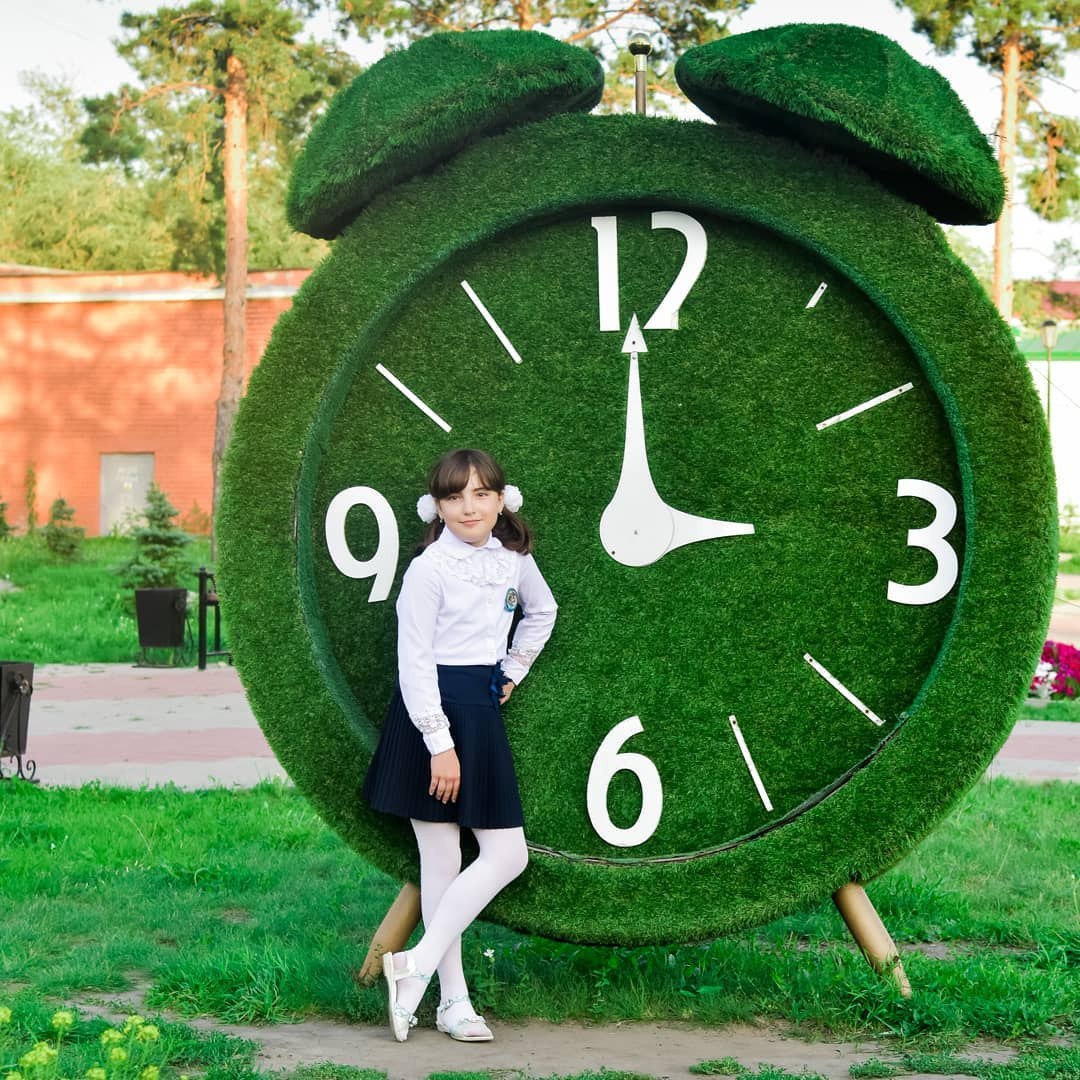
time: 2:59
